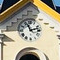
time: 11:12
